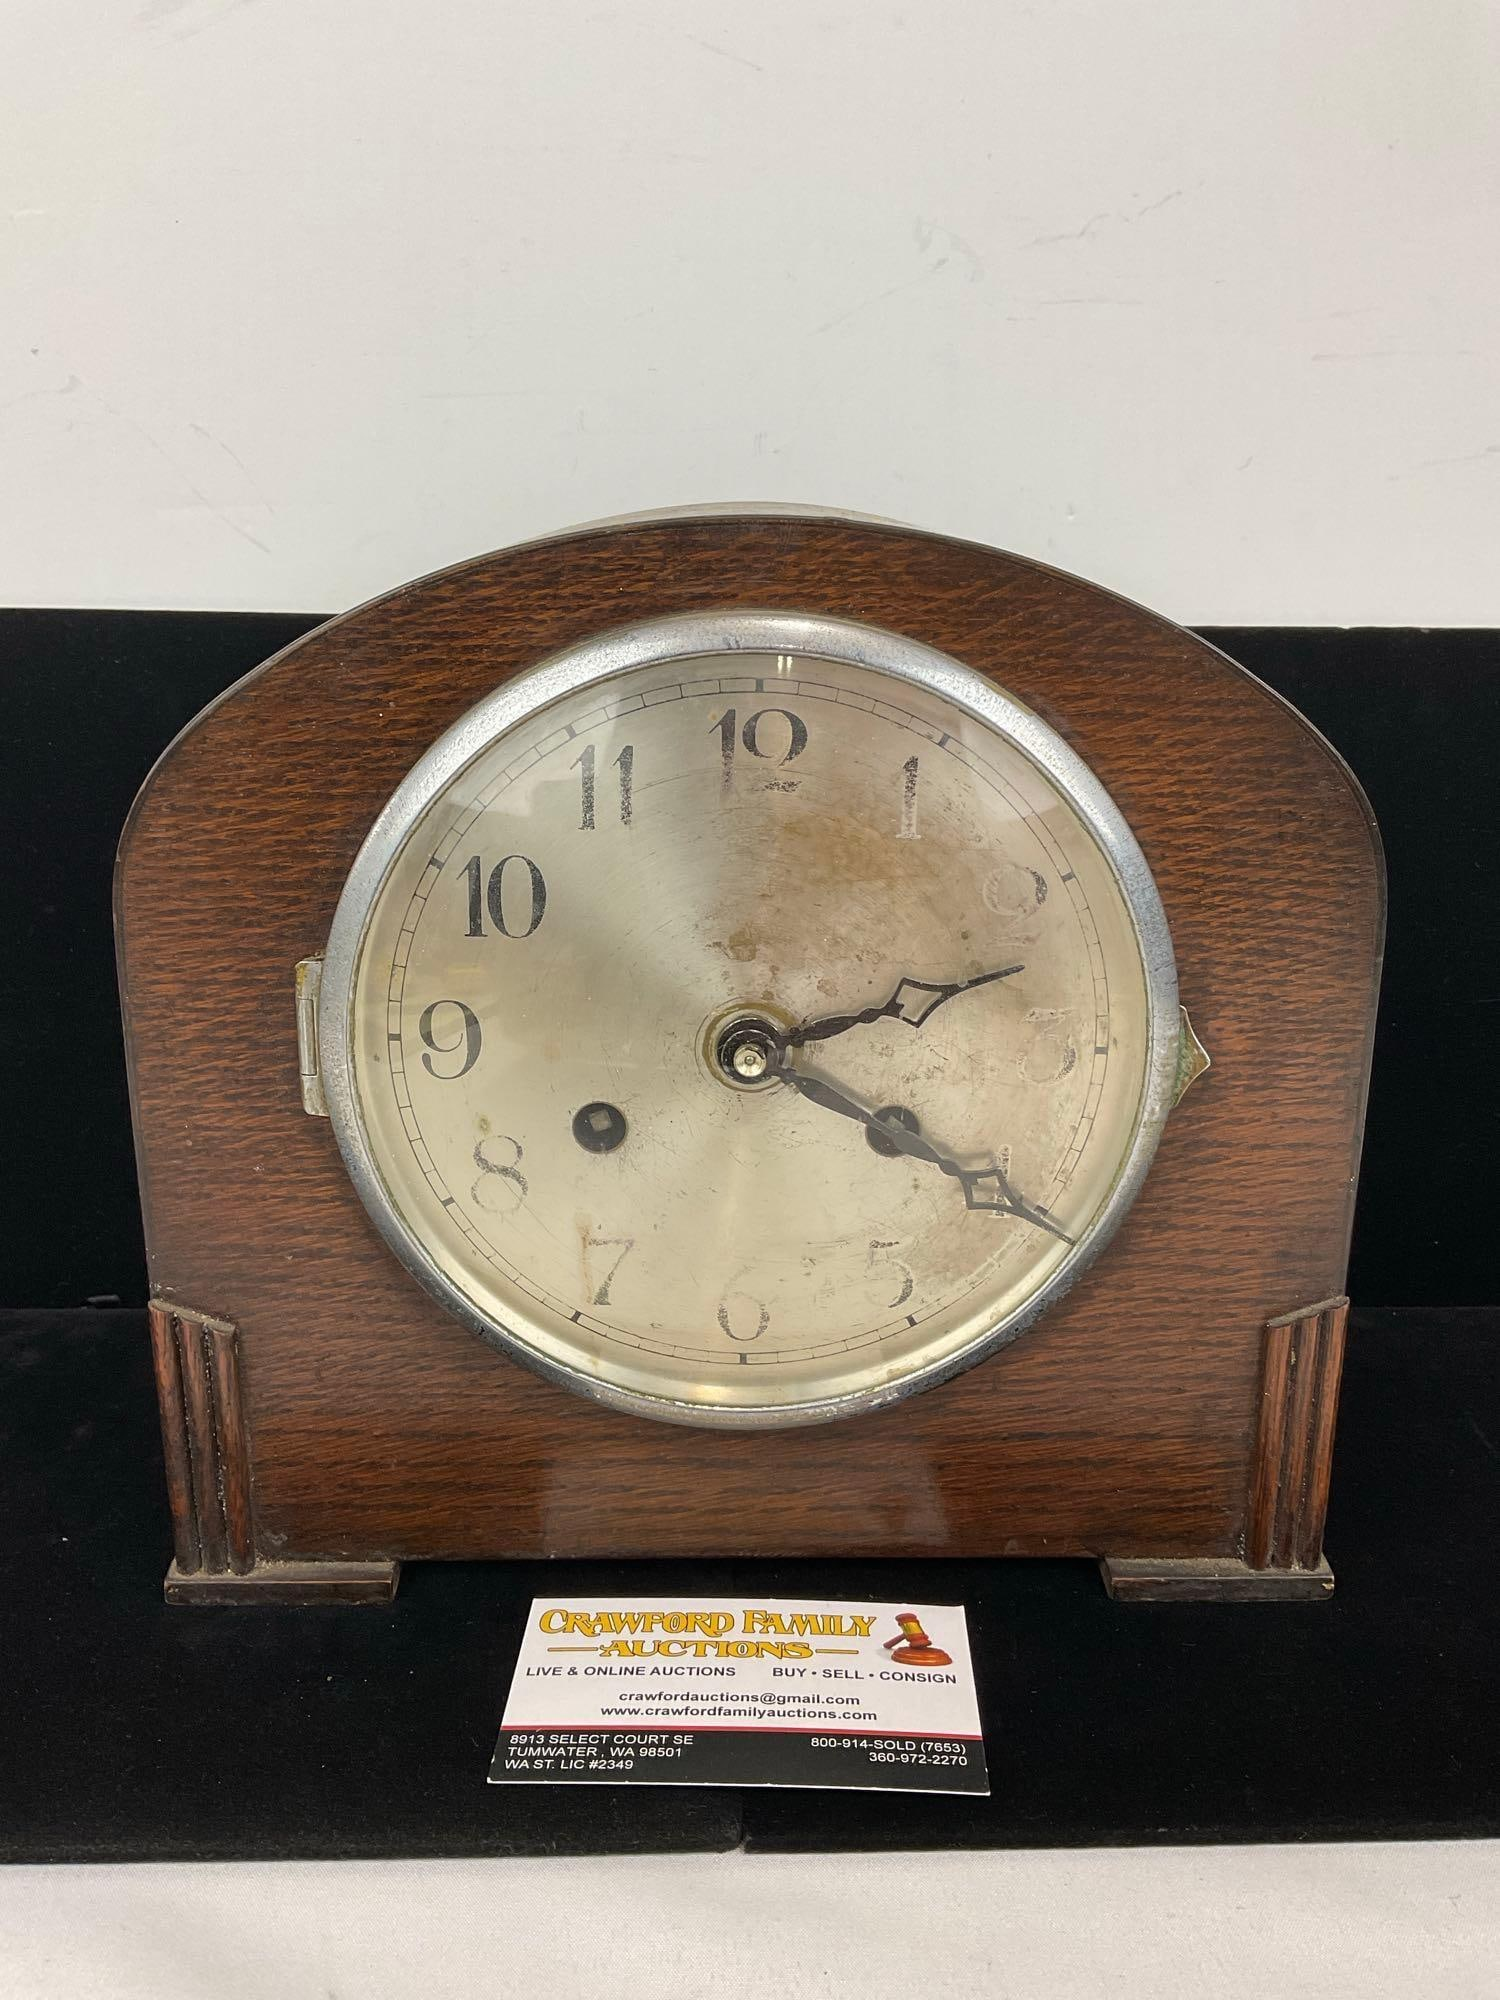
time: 2:19
